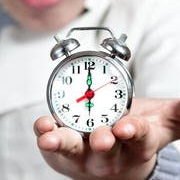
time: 6:00
